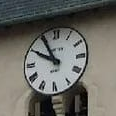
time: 9:54
